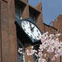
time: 12:07
